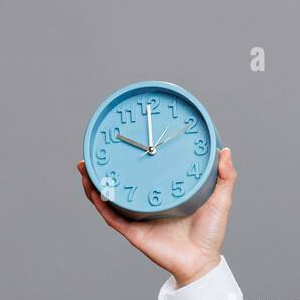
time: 10:00
